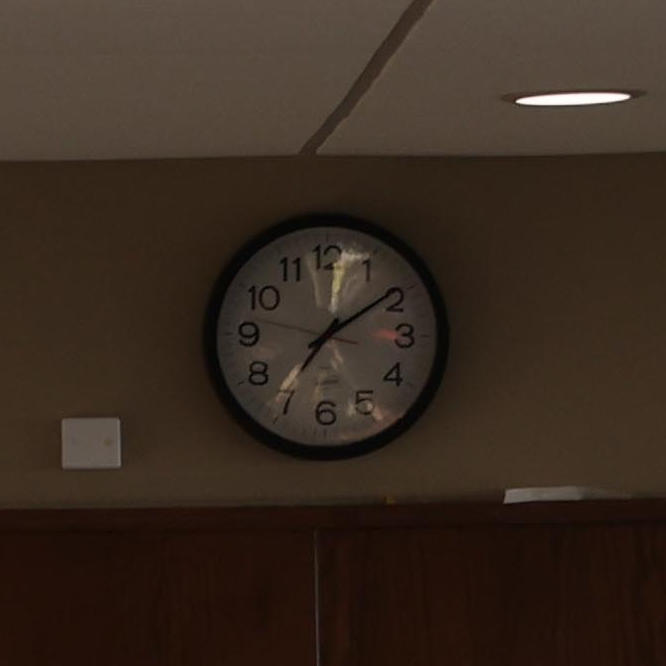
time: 7:09
